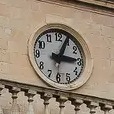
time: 3:04
